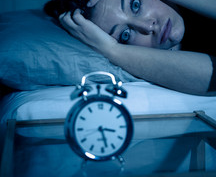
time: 3:27
